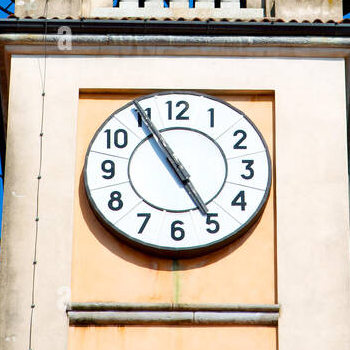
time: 4:54
